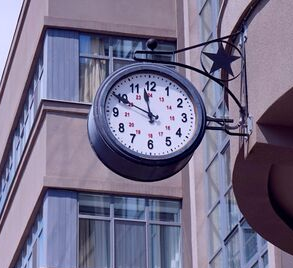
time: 11:49
